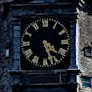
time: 4:27
